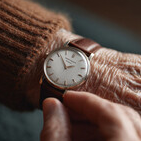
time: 2:56
